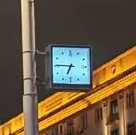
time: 6:45
